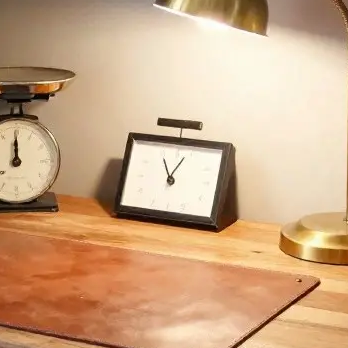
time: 11:03
